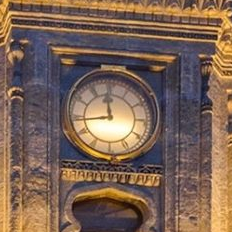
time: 11:43
